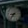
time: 8:37
